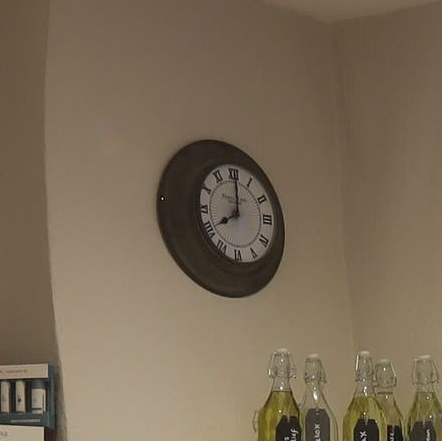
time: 8:00
